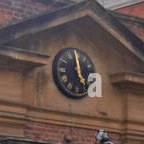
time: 4:59
